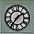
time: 1:36
